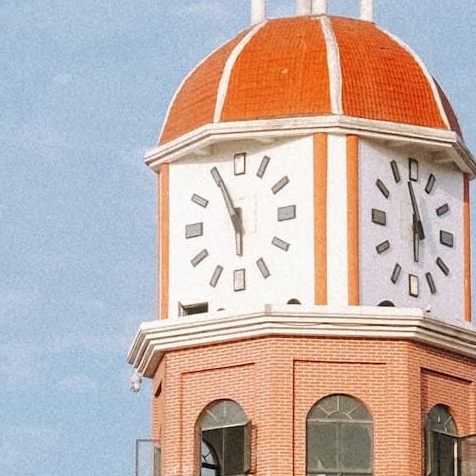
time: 5:55
